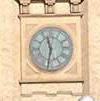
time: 11:31
